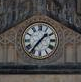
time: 1:36
